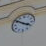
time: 3:50
